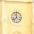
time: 11:37
